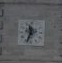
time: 11:33
